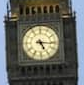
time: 5:15
